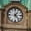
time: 1:23
